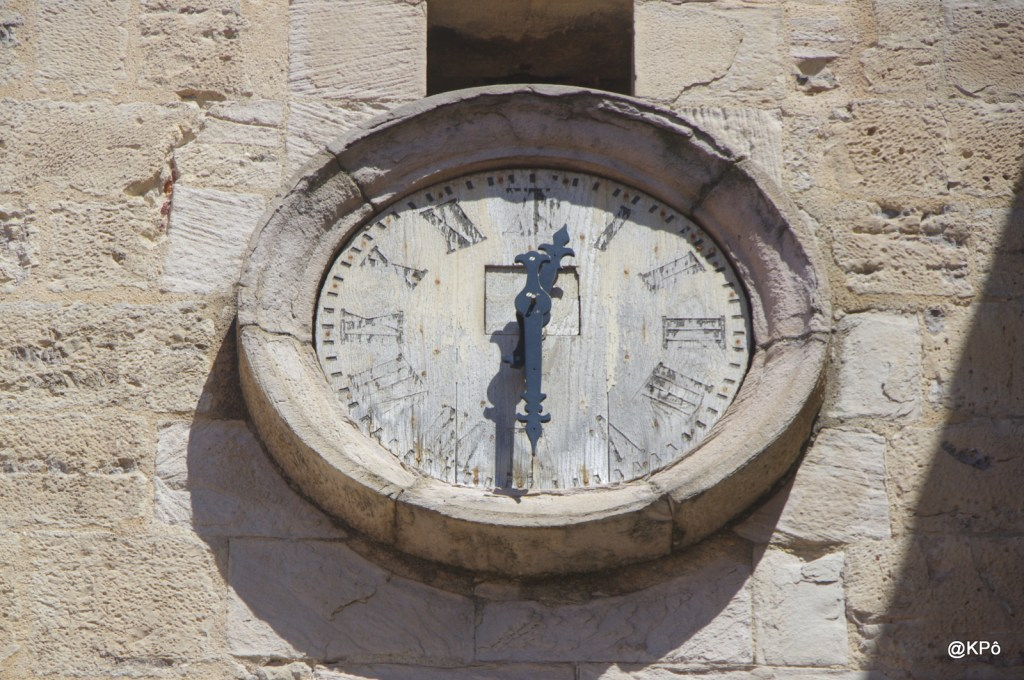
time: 12:30
